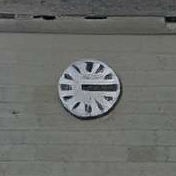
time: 3:14
